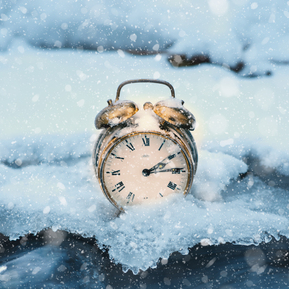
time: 2:14
